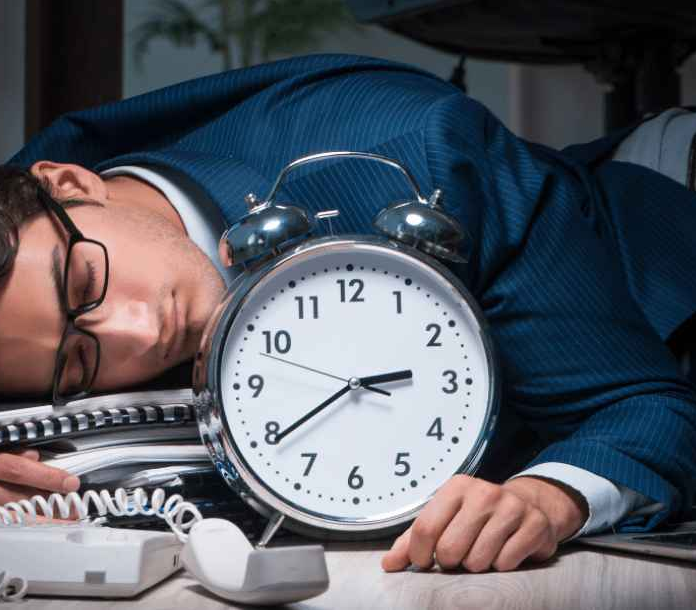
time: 2:39
